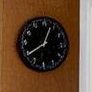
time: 12:39
